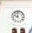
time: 10:00
